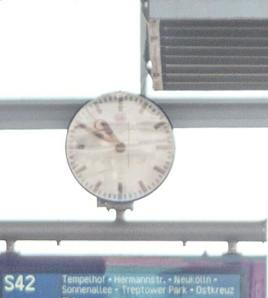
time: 10:49
